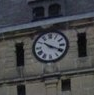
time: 10:19
